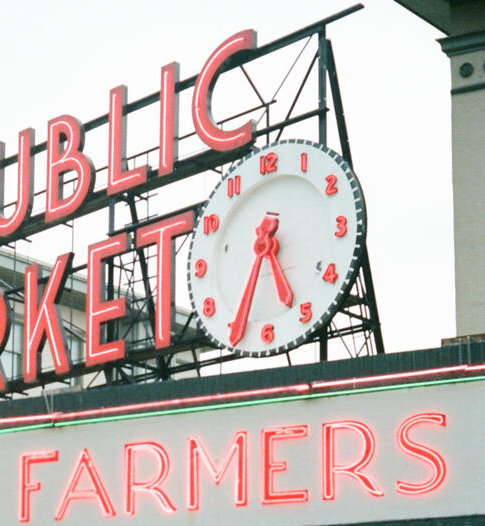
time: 5:34
